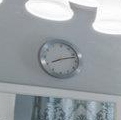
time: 8:12
